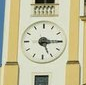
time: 5:15
